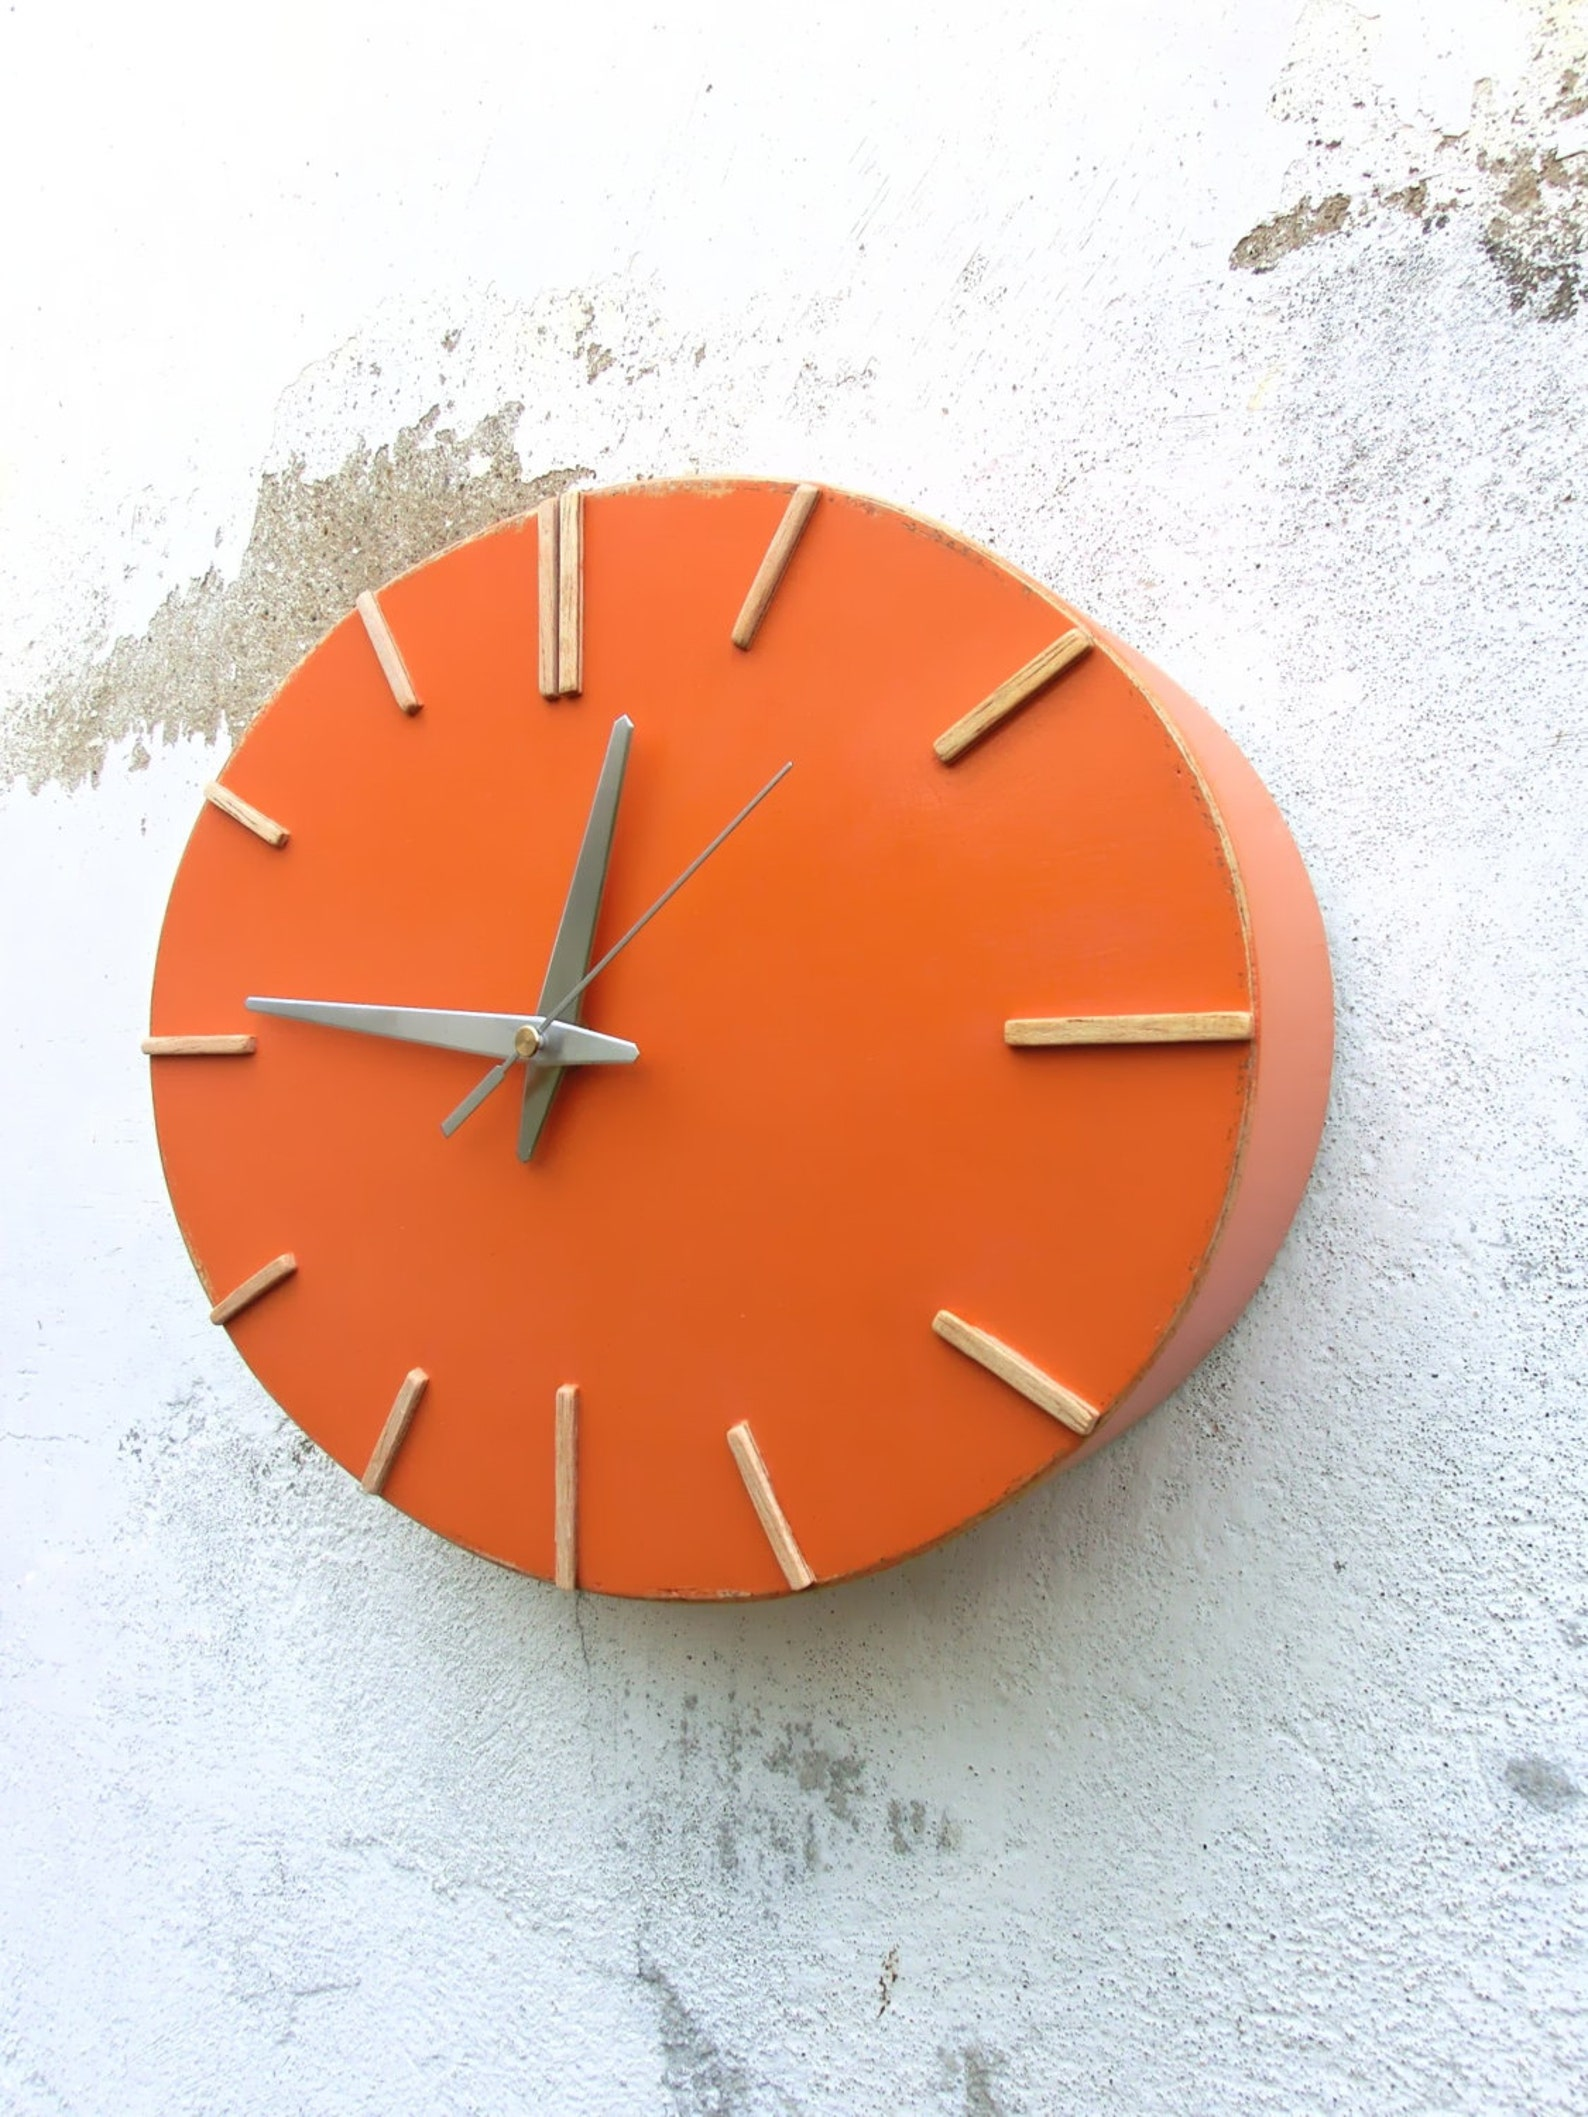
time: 12:46
